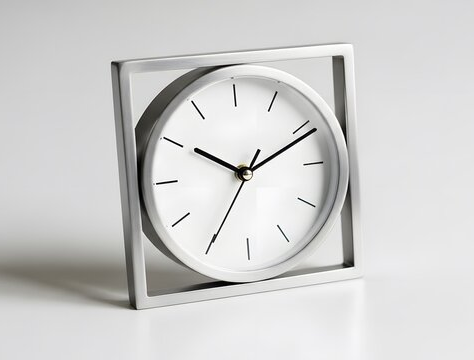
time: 10:11
